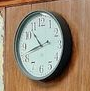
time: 10:42
